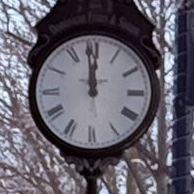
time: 11:58
